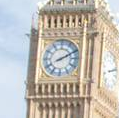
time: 2:10
